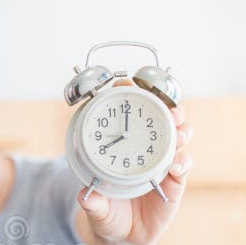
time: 8:00
